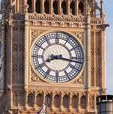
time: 8:16
